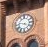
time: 3:46
